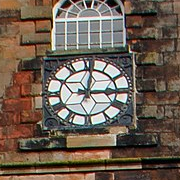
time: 3:01
